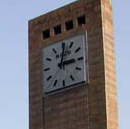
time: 3:01
